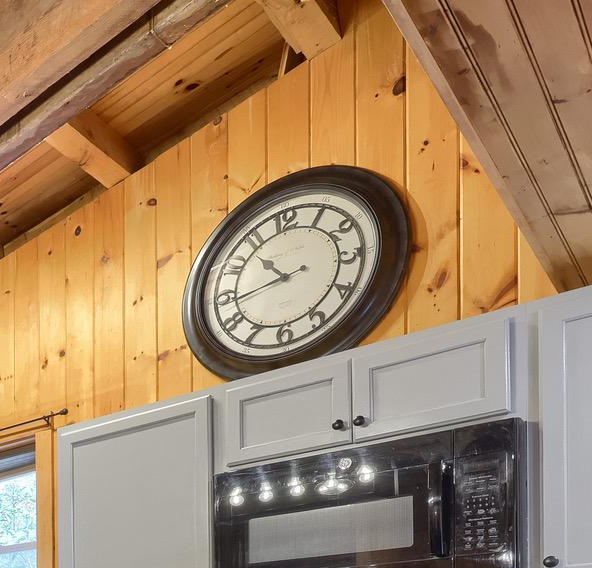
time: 10:43
